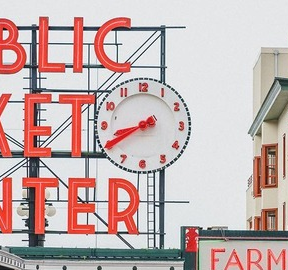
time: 8:40
